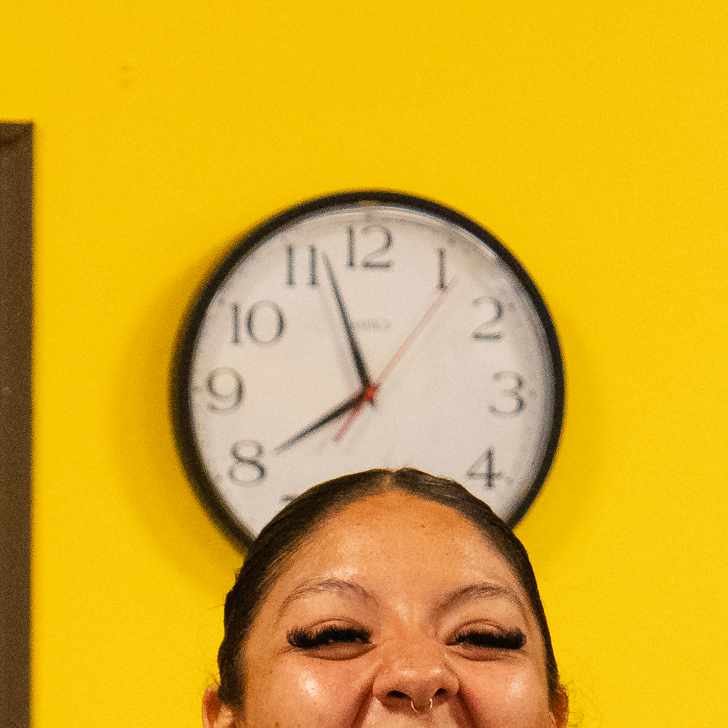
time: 7:56
